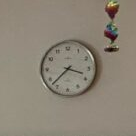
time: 3:37
